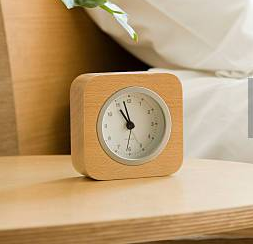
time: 10:57
